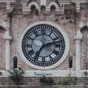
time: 7:12
